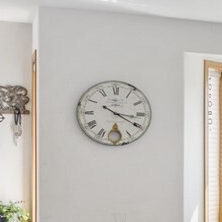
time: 3:20
